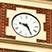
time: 9:25
